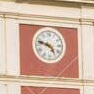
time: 4:47
